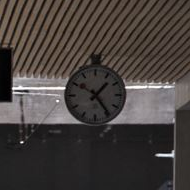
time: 1:24
